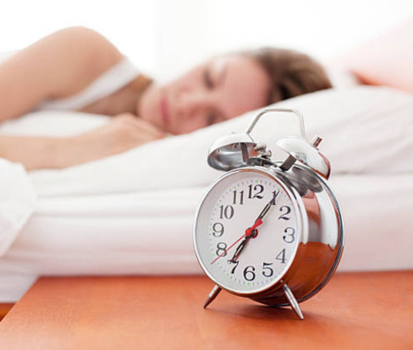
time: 7:06
